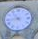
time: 10:43
